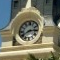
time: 2:40
